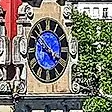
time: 3:52
